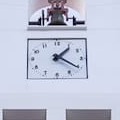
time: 1:20
